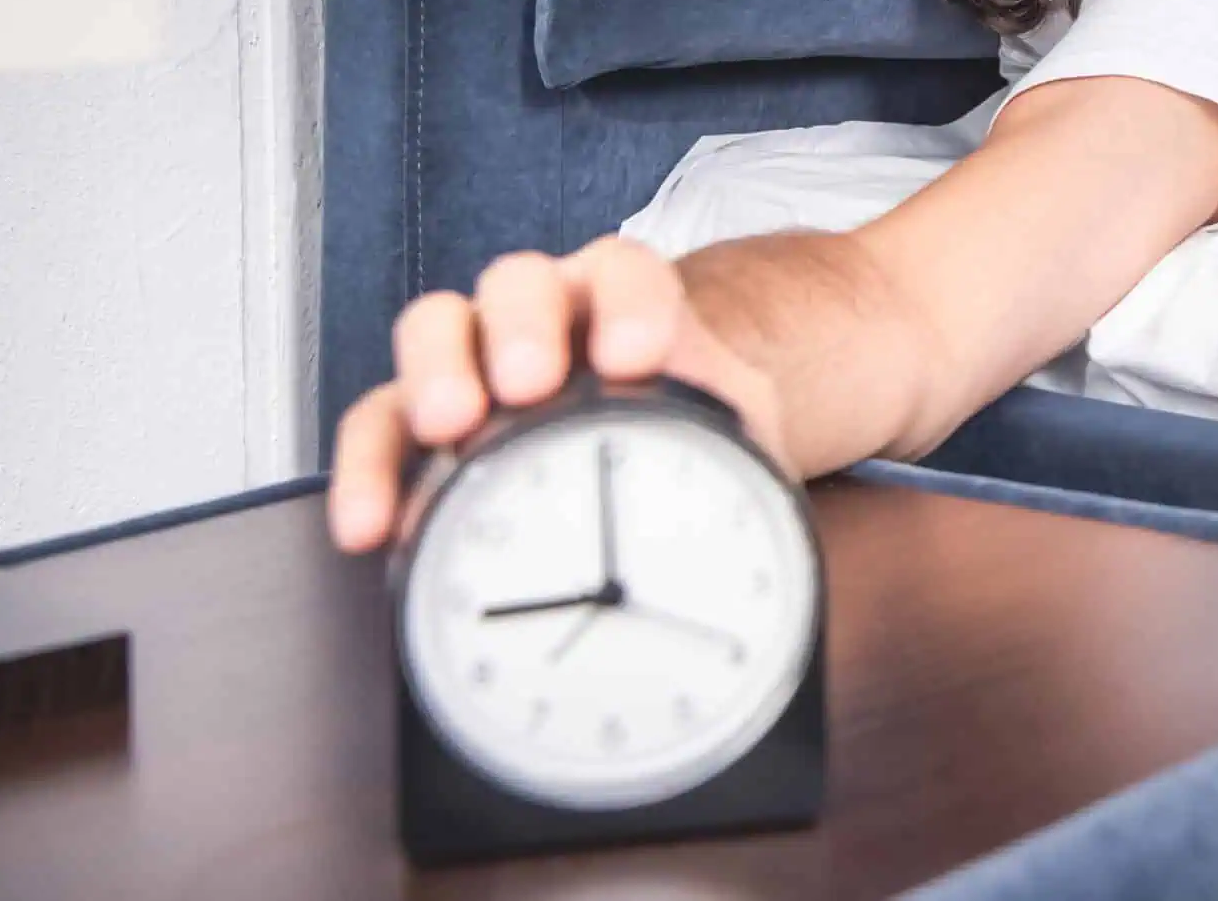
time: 8:59
